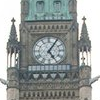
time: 5:05
